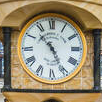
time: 10:25
